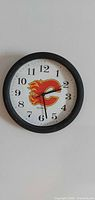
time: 2:28
